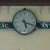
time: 5:18
